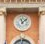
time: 11:07
